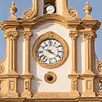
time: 9:20
